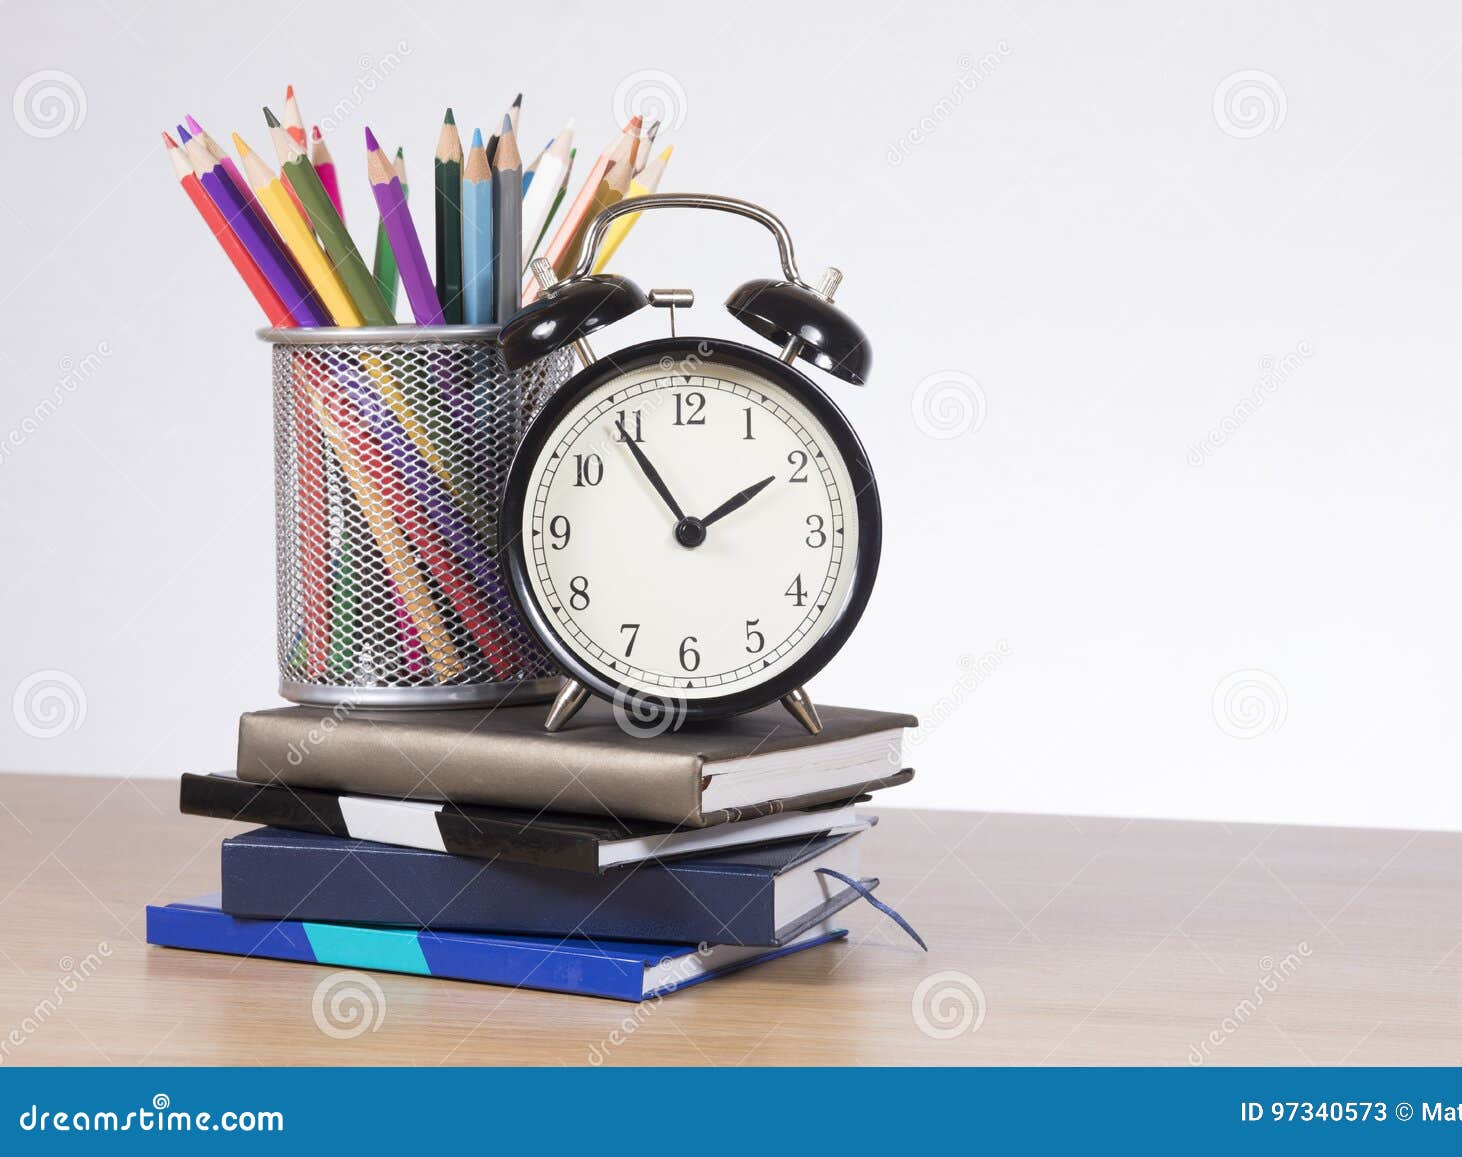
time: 1:54
